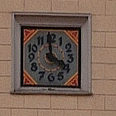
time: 3:58
